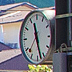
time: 11:27
